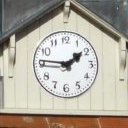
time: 1:46
